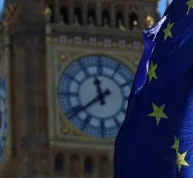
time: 11:38
